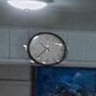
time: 10:37
